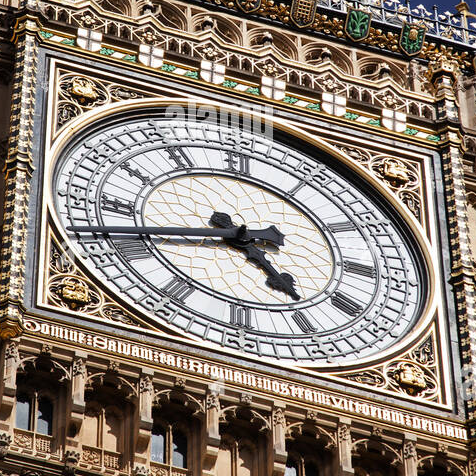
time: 4:42
